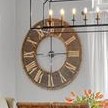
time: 2:59
